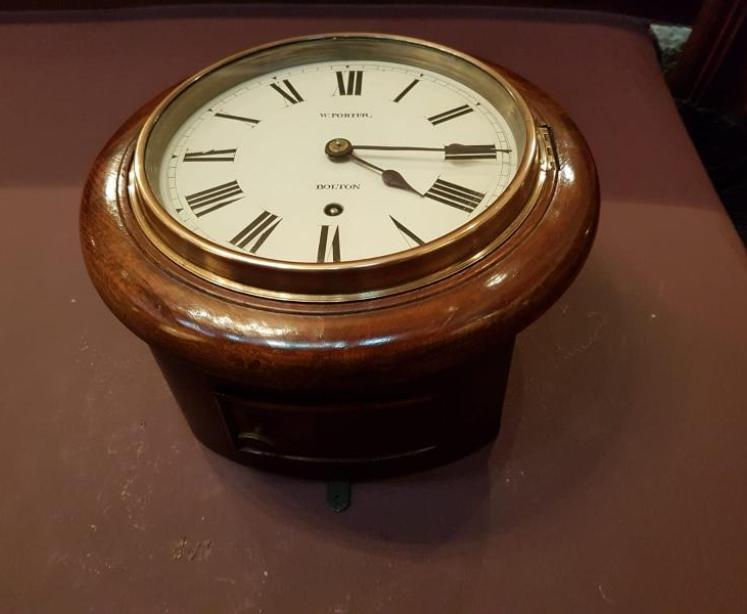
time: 4:14
